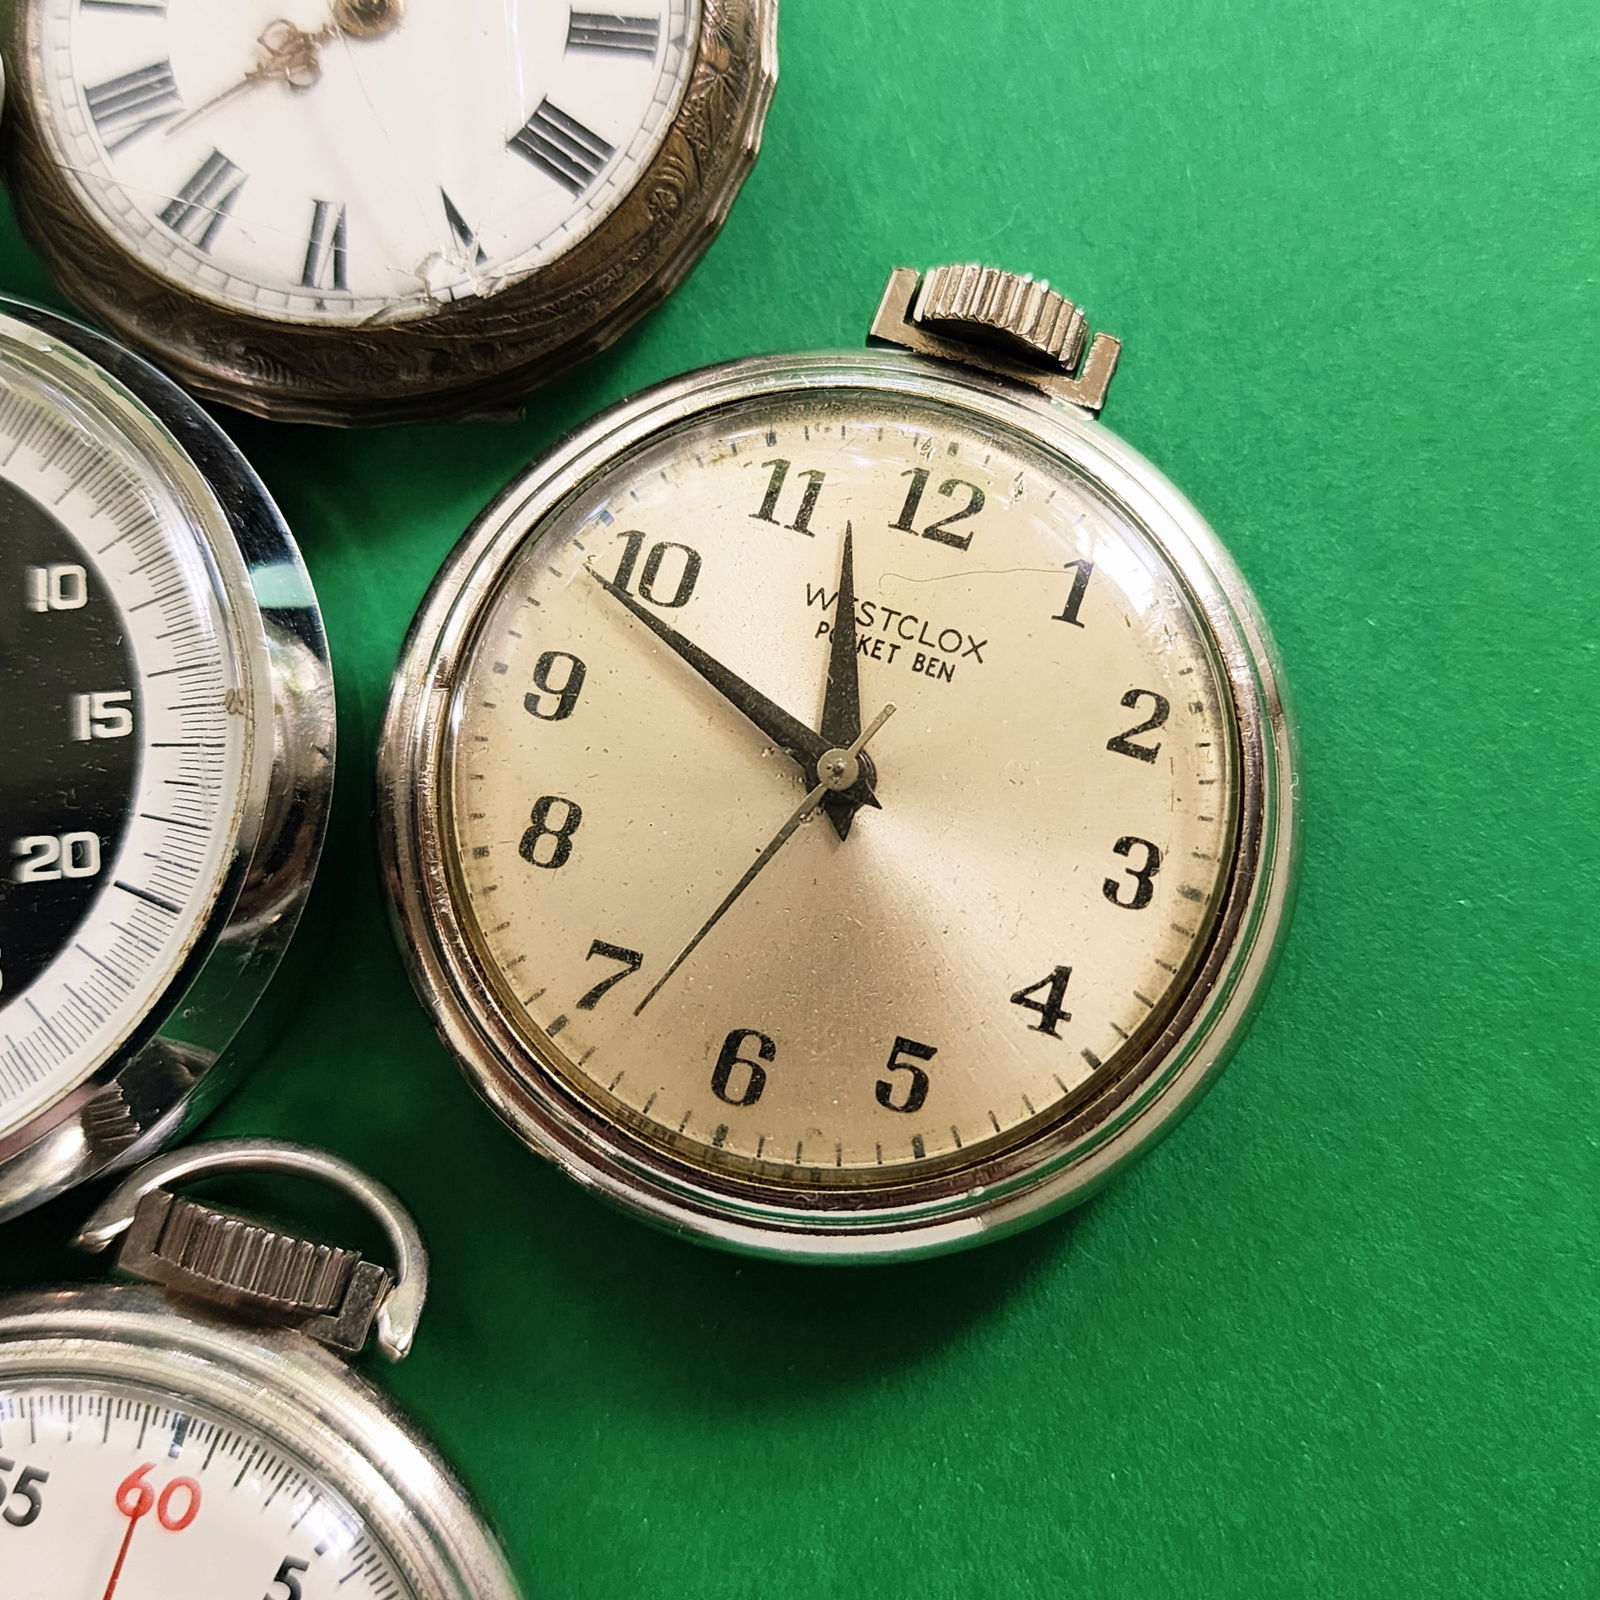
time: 11:48
